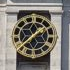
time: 1:37
